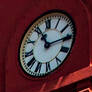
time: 11:14
